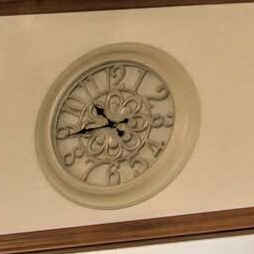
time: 10:44
